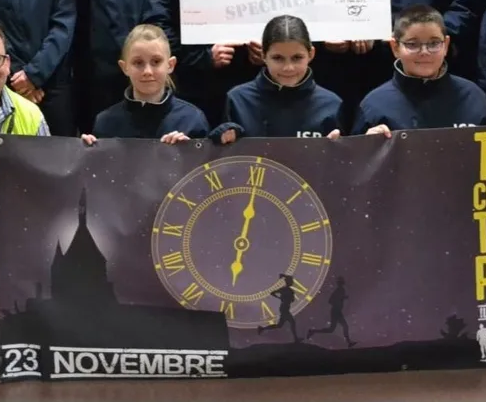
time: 6:00
